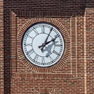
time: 2:04
